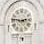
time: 2:46
